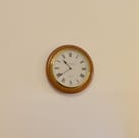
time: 10:39
